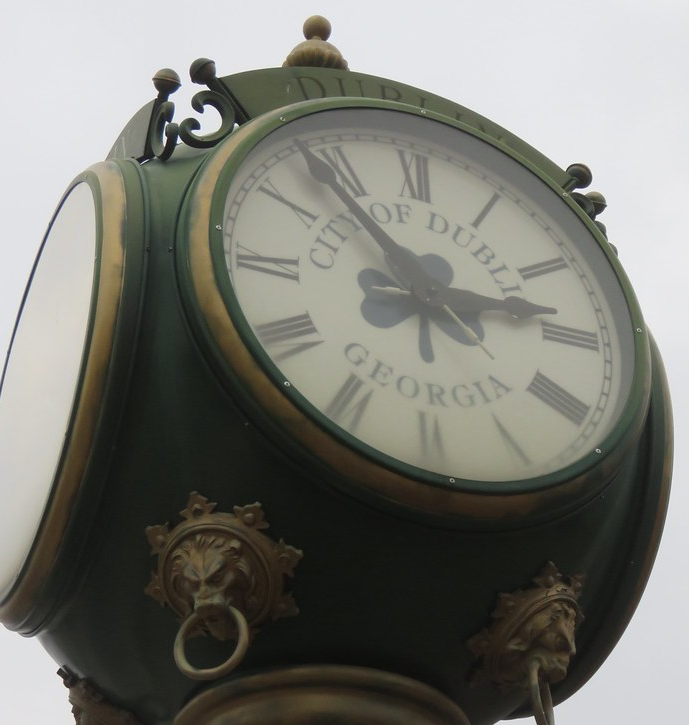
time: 2:53
